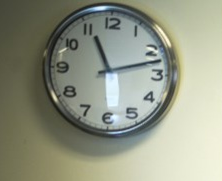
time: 11:12
